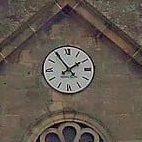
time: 1:54
